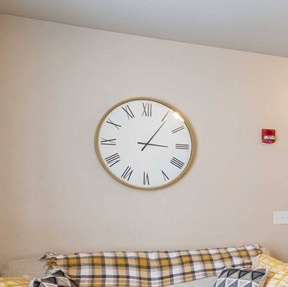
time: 3:05
